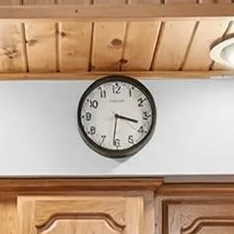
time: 3:31
